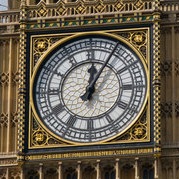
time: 12:05
